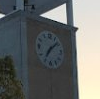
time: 7:08
